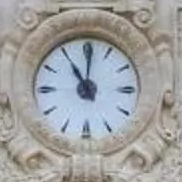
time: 11:00
